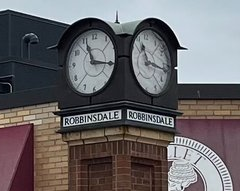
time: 11:17
